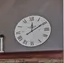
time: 12:09
